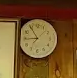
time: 8:54
